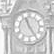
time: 11:24
